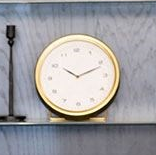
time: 10:11
